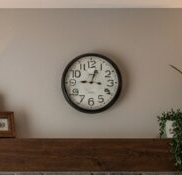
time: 9:03
